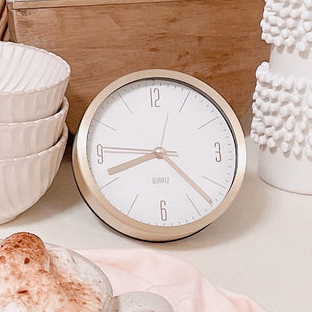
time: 8:22
